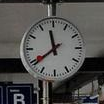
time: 11:39
